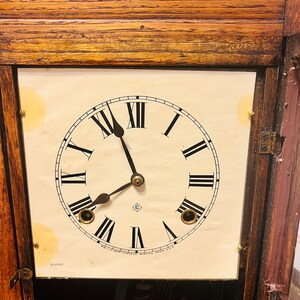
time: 7:56
